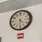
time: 4:29
